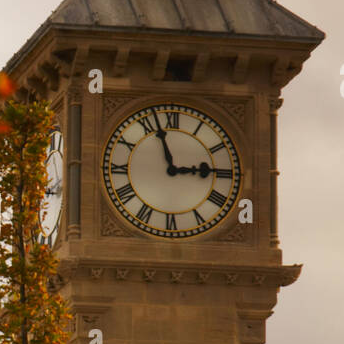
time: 2:56
